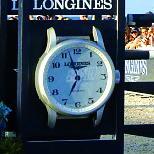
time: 6:57
